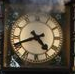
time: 4:41
